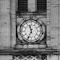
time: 11:33
